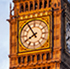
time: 7:54
